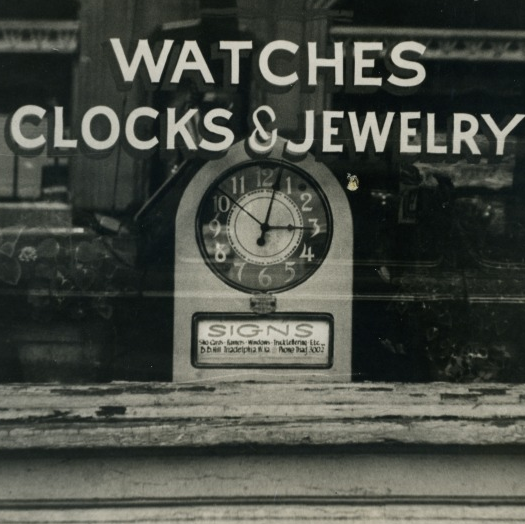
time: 3:02
